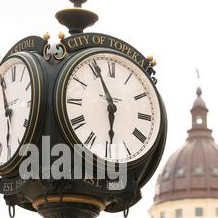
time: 5:55
